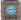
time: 9:13
